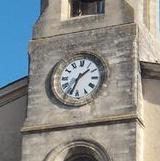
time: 1:33
